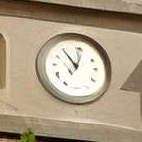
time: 12:54
